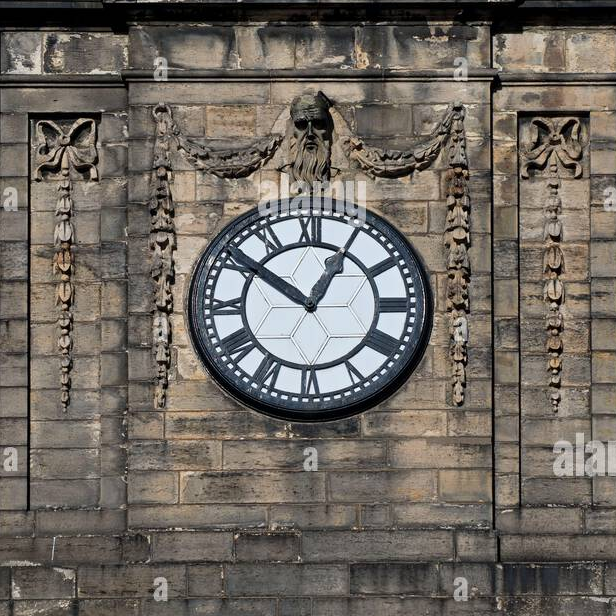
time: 12:51
